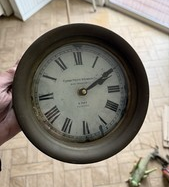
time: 2:09
